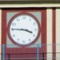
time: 3:45
